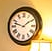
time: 1:47
